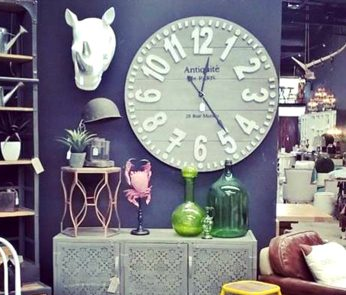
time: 12:23
